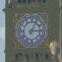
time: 3:04
